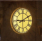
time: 9:10
